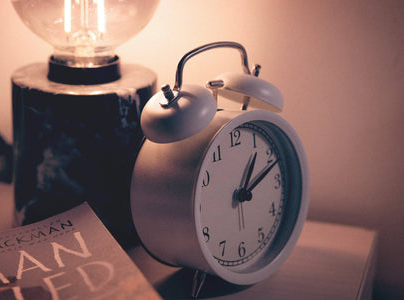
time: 1:11
